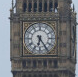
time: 6:24
